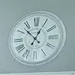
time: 12:52
